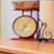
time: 7:06
